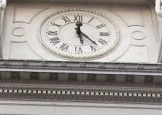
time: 12:22
